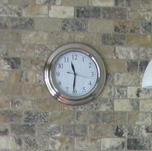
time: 11:31
